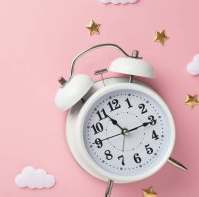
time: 11:15
